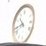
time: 10:43
